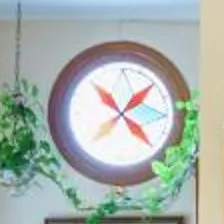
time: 1:37
